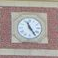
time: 11:24
